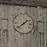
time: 1:38
